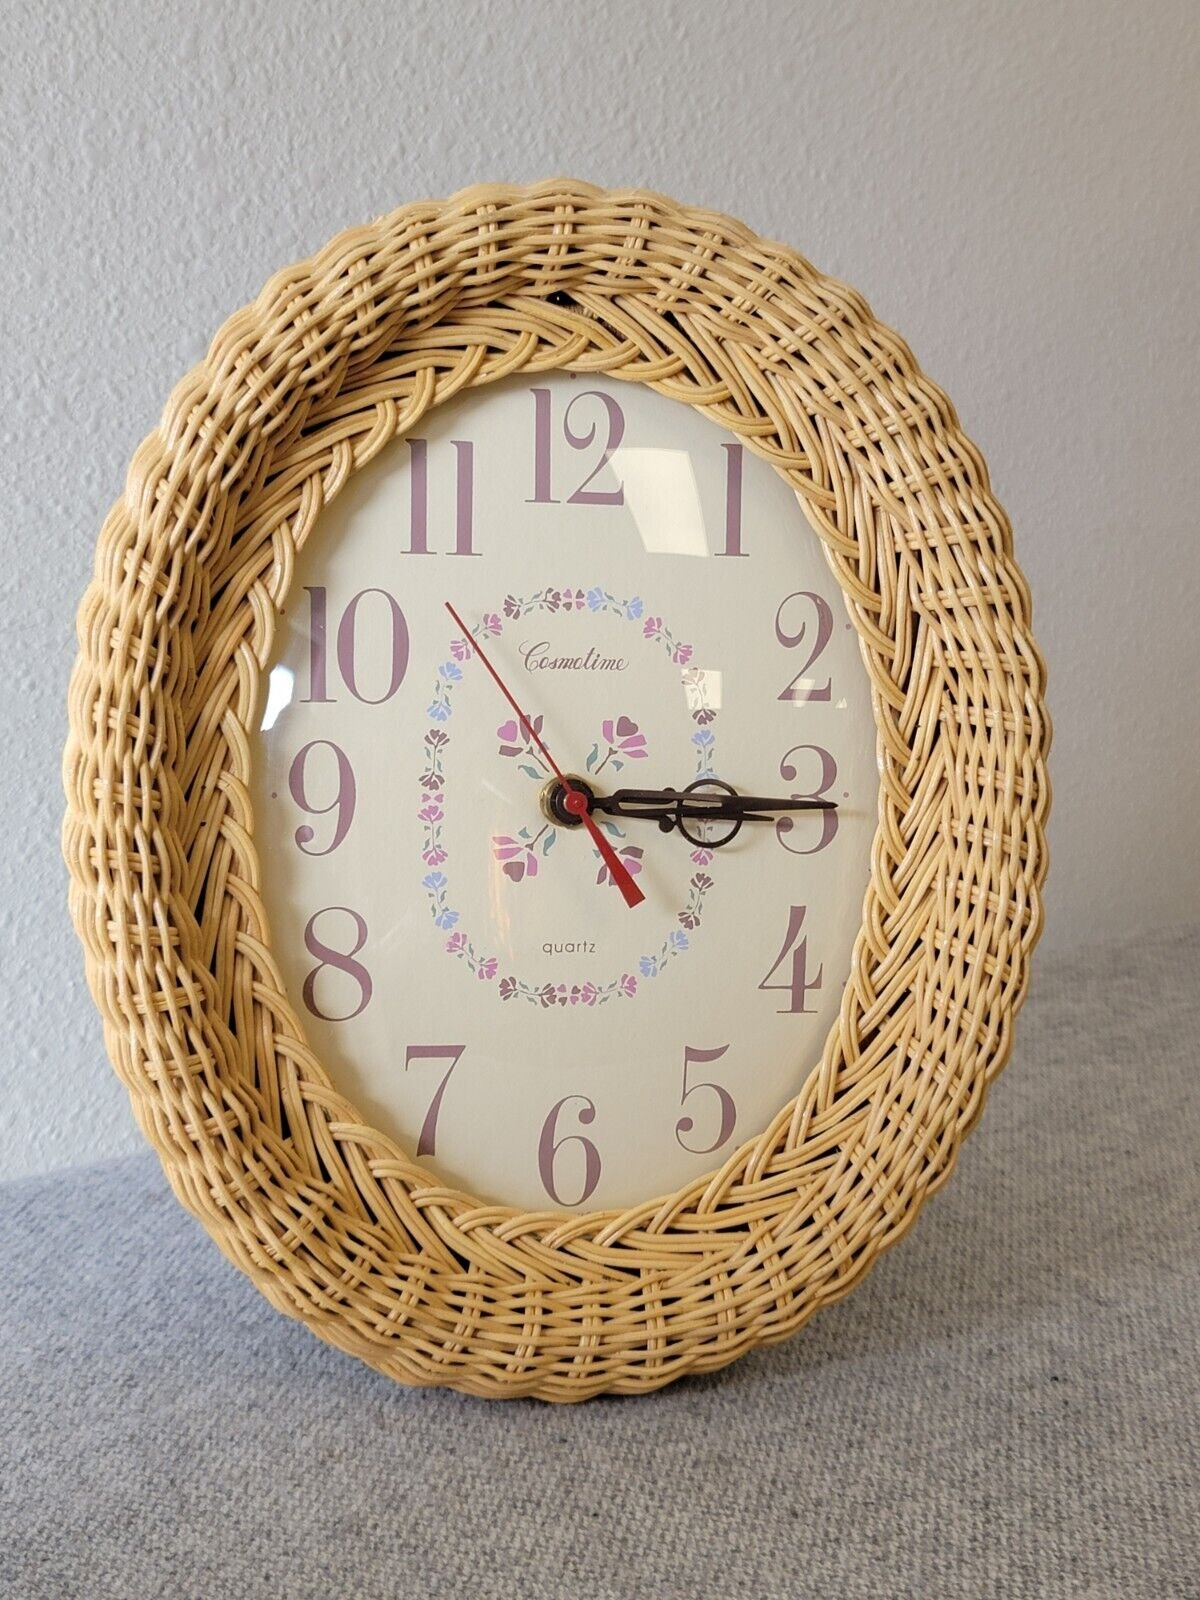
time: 3:15
